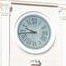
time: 9:43
